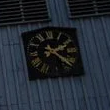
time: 2:21
